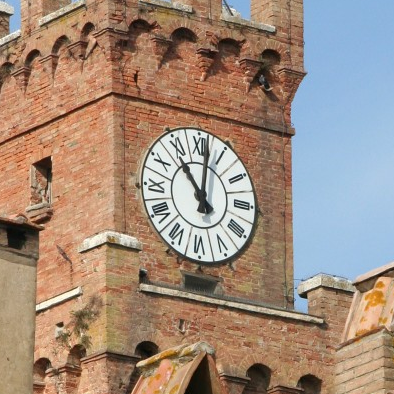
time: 11:01
